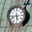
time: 5:42
